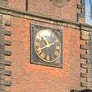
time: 10:41
